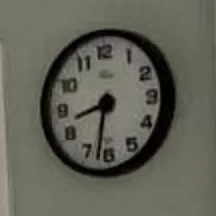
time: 8:32
